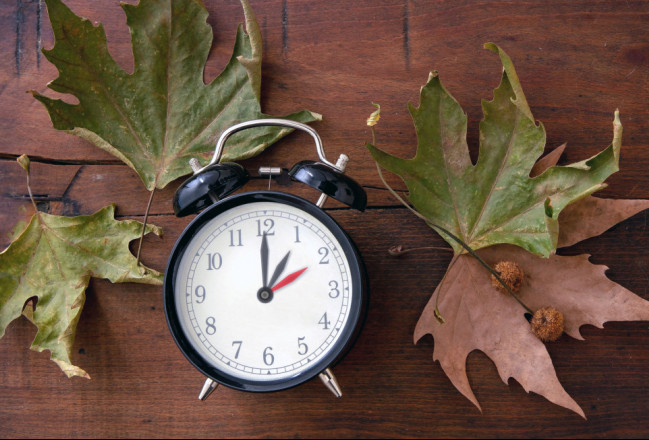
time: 1:00
